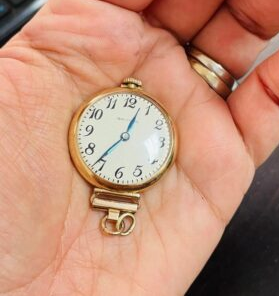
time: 12:36
